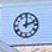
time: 12:11
